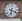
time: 6:18
